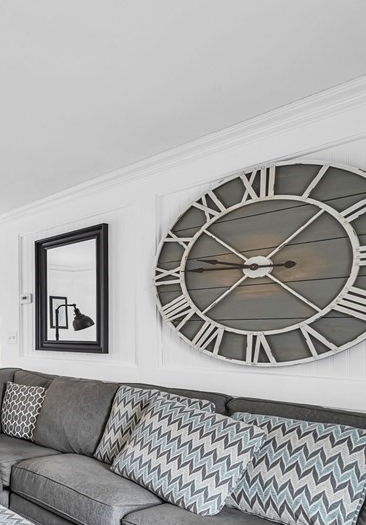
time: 9:07
